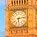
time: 6:13
